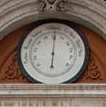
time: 6:00
